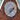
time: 1:37
